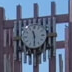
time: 11:29
